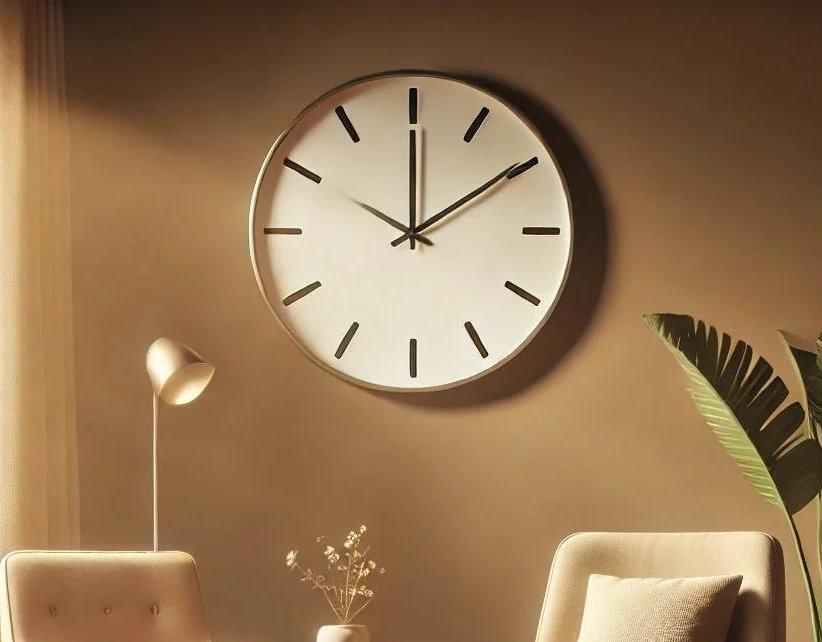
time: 12:09
